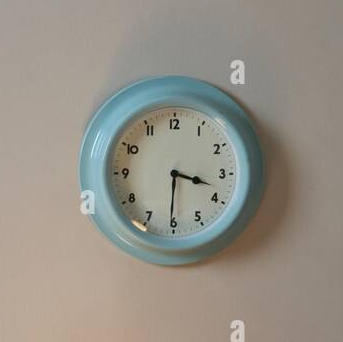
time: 3:30
